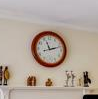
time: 11:12
